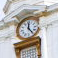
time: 12:24
